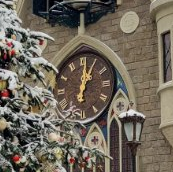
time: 1:01
